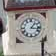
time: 1:16
